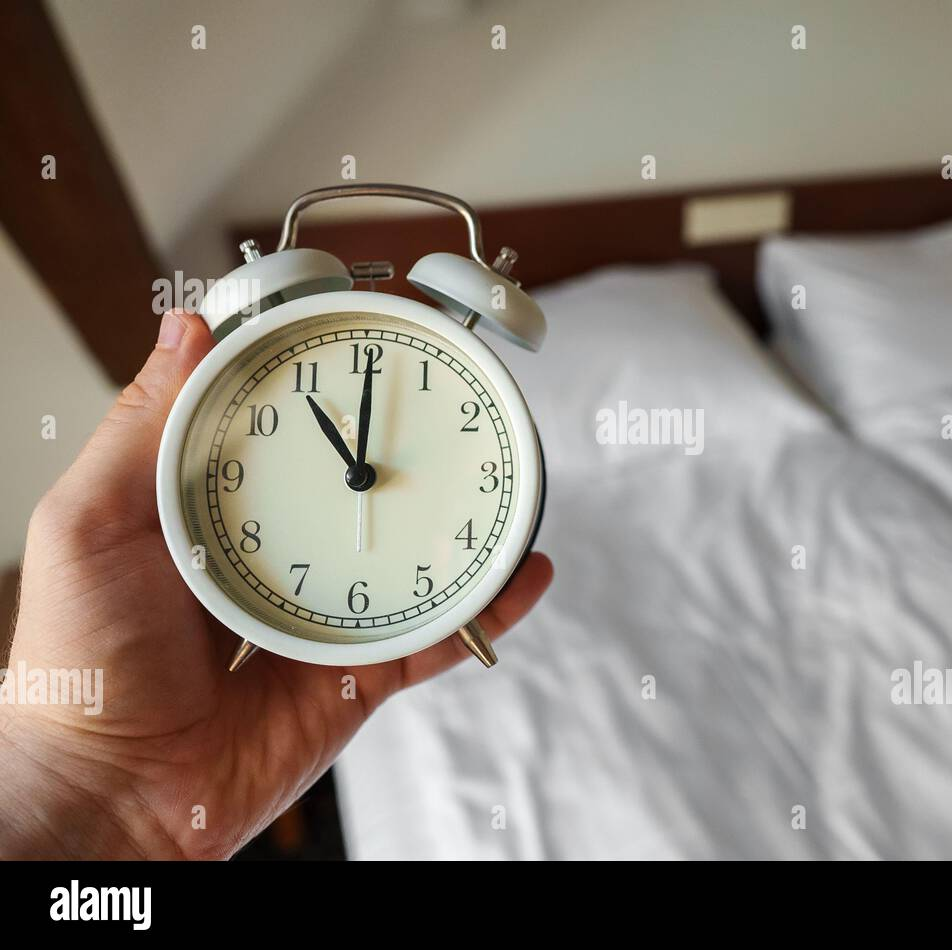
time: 11:00
